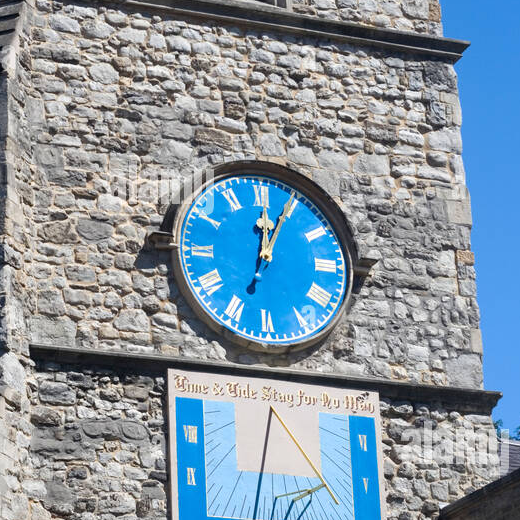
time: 12:04
